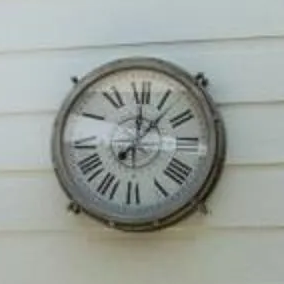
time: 12:07
